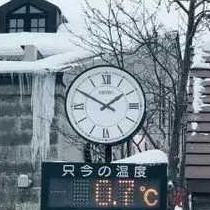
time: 1:50
